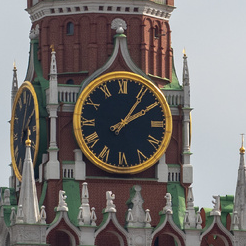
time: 2:06
